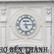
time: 5:14
